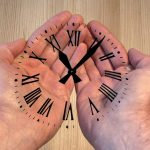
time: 11:07
